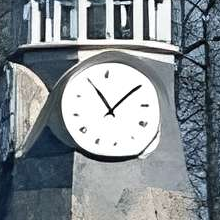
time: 11:08
